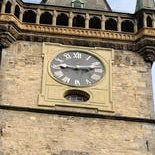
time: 9:12
